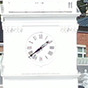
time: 1:38
